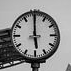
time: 5:59
